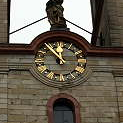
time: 11:53
